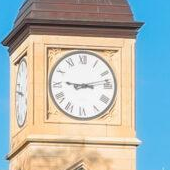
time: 9:12
